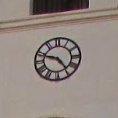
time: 4:47
